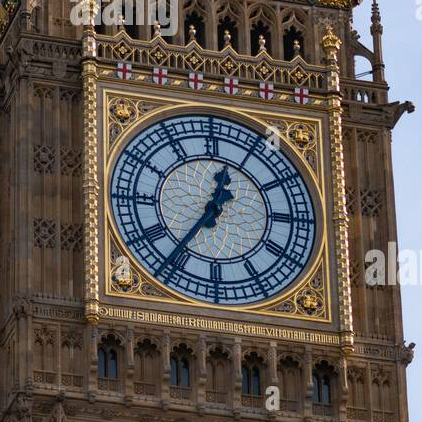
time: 12:36
